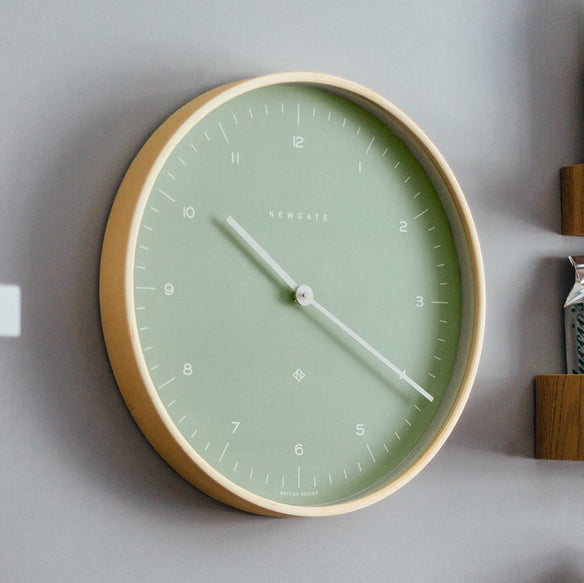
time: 10:20
